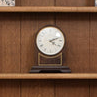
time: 4:11
